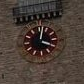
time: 4:02
